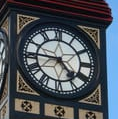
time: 4:45
